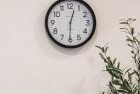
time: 12:30
